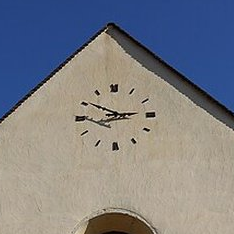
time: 2:50
